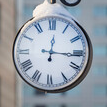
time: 12:15
